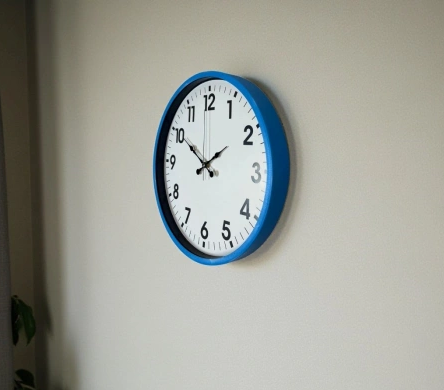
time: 1:50
